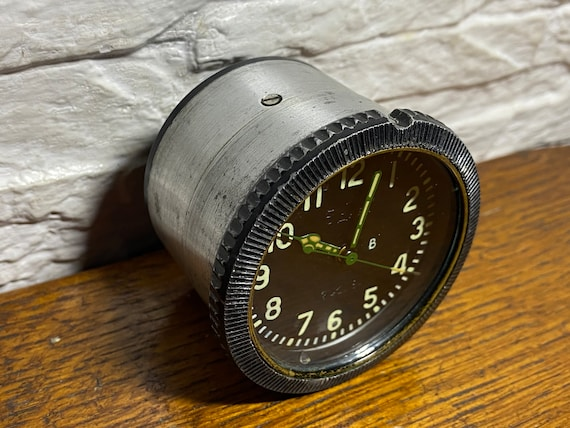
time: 10:02
